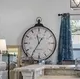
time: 11:35
